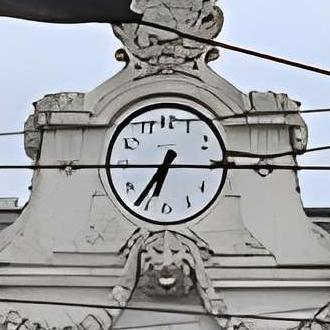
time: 6:36
